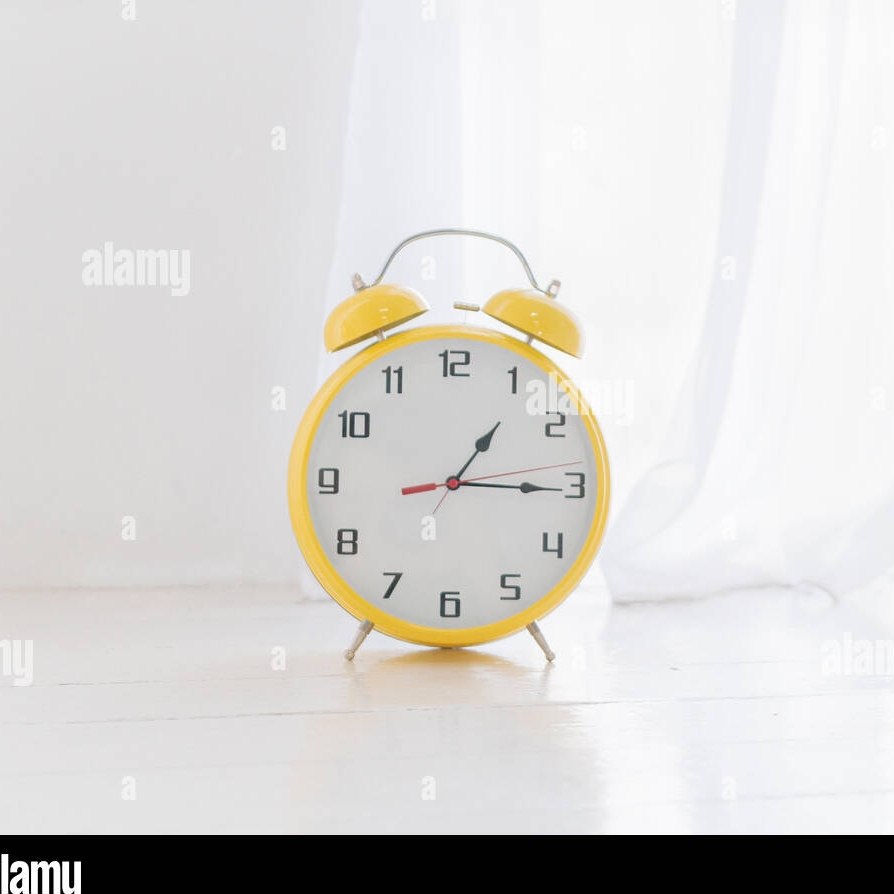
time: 1:15
